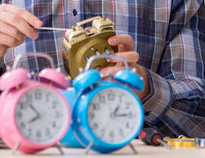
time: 1:14
